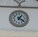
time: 1:20
